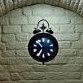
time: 10:34
